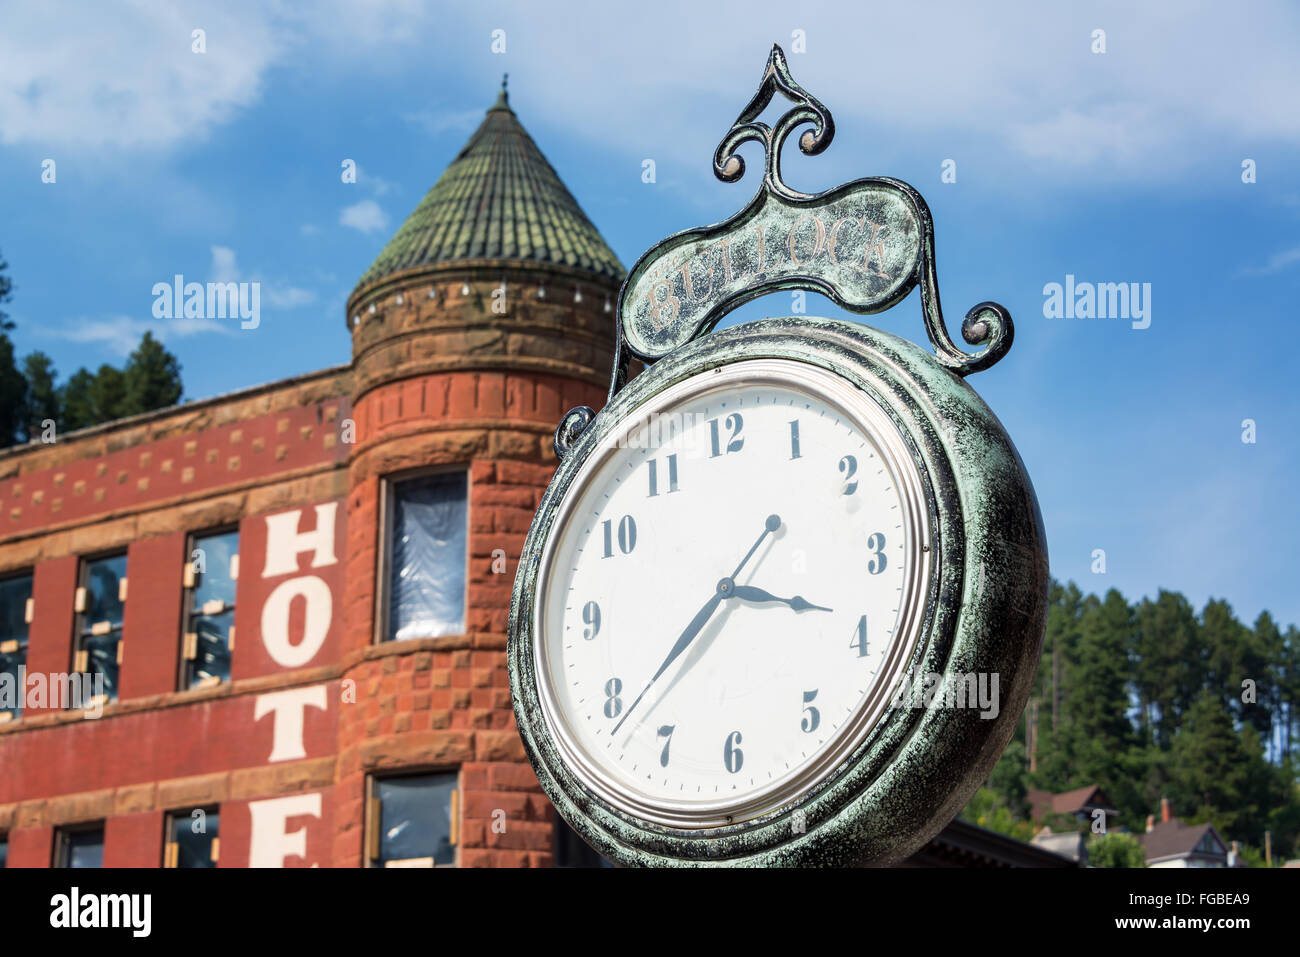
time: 3:38
